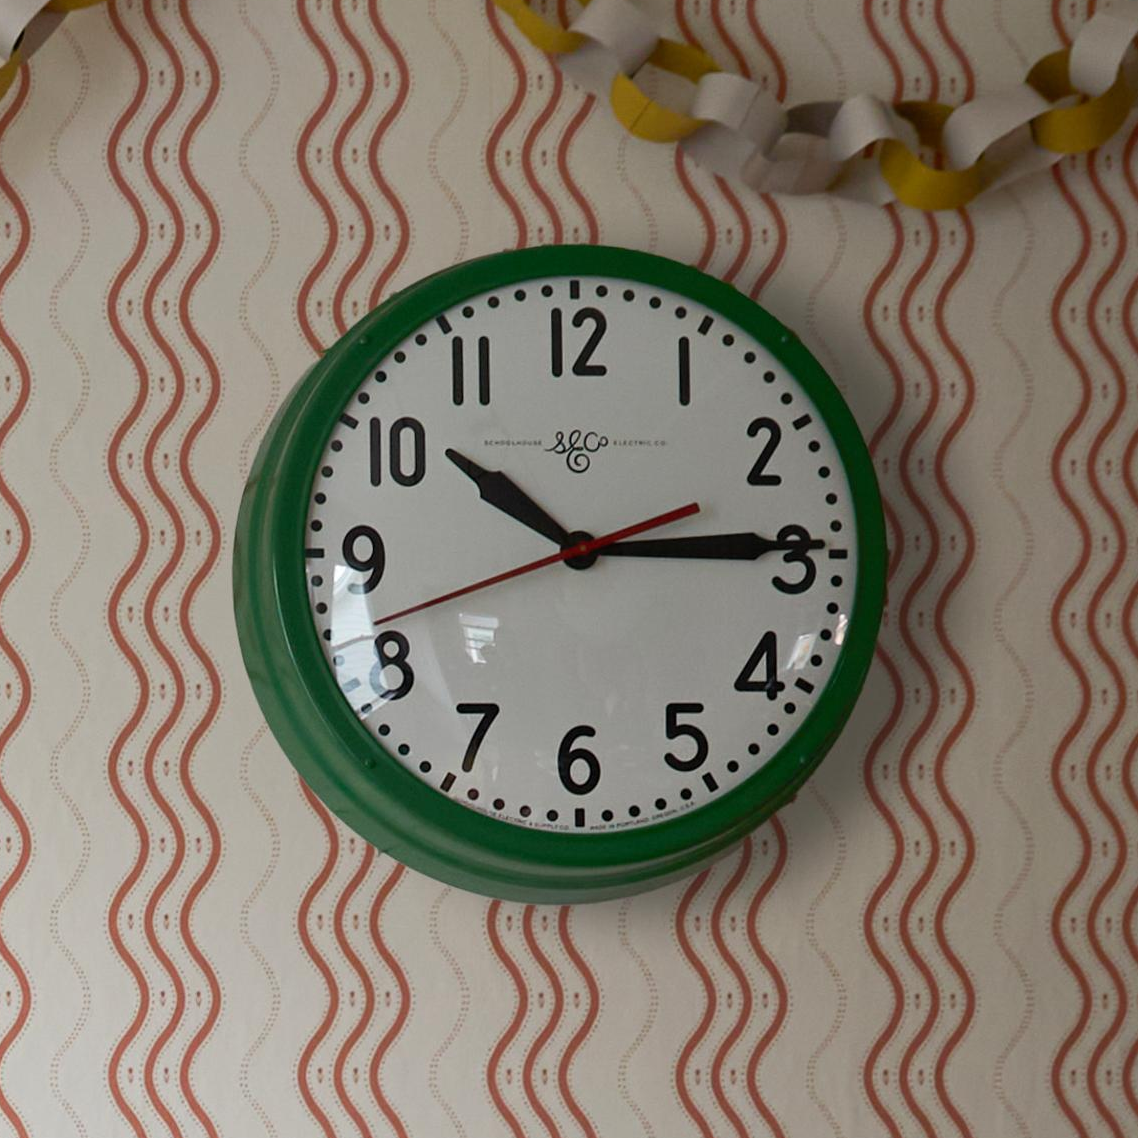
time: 10:14
